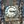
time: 3:17
